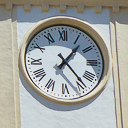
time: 1:23
